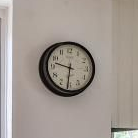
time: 9:31
